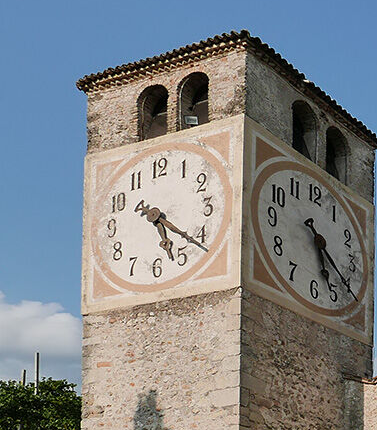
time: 5:21
